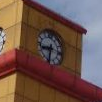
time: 8:32
